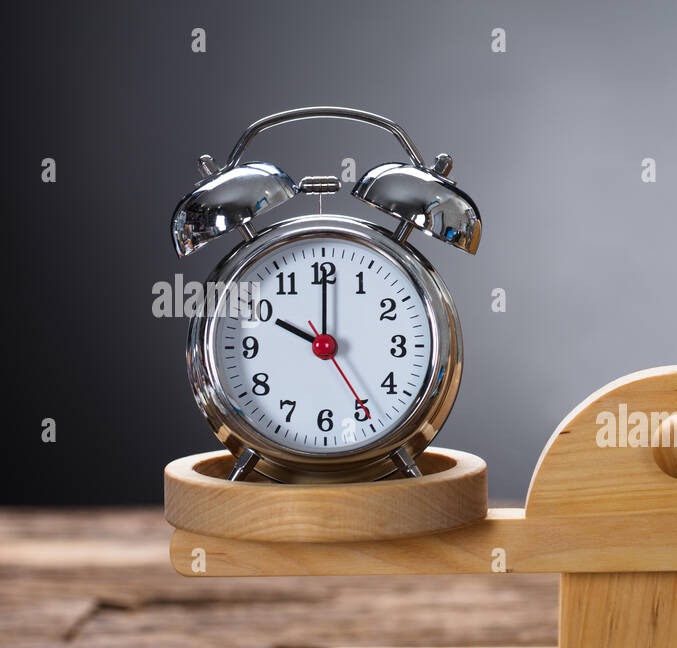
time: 10:00
